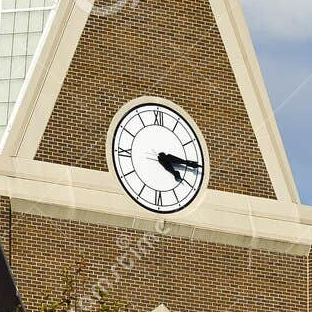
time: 4:15
